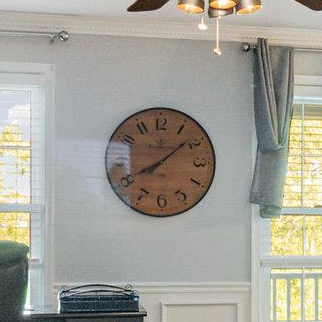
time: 8:08
